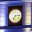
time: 7:13
